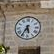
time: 5:35
